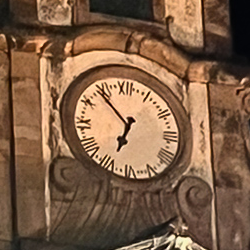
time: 6:53
